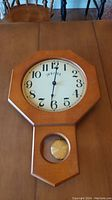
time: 6:01
